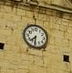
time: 7:31
